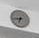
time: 6:43
